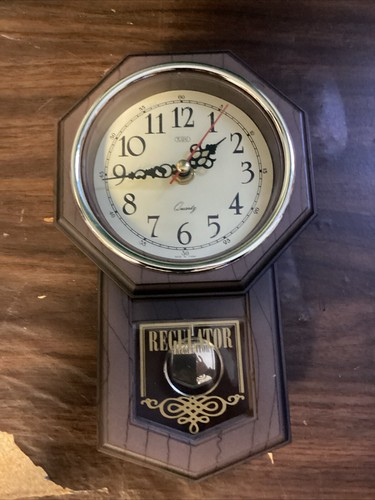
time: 1:44
